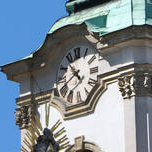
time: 7:53
